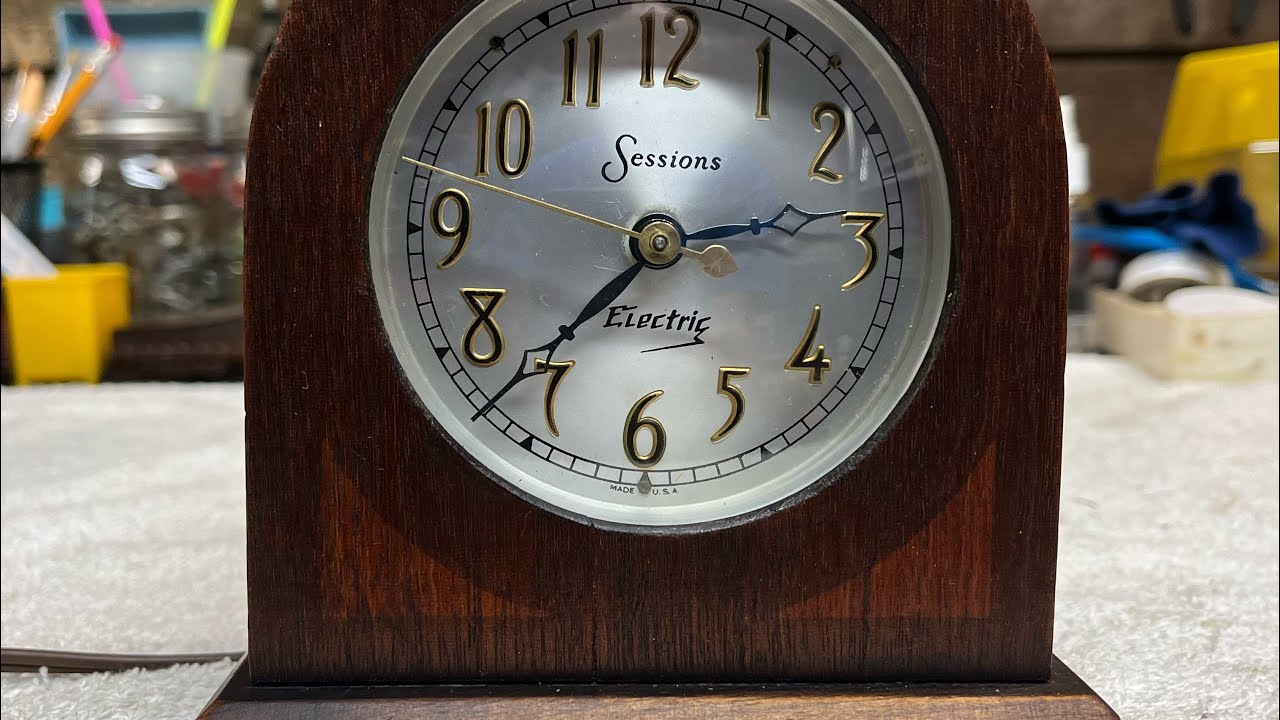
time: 2:37
